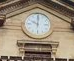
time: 10:00
